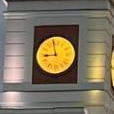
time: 8:57
